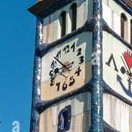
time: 8:52
